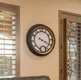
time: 4:19
